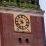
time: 10:37
